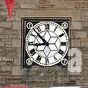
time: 8:52
